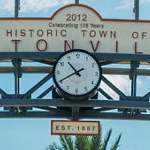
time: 10:40
